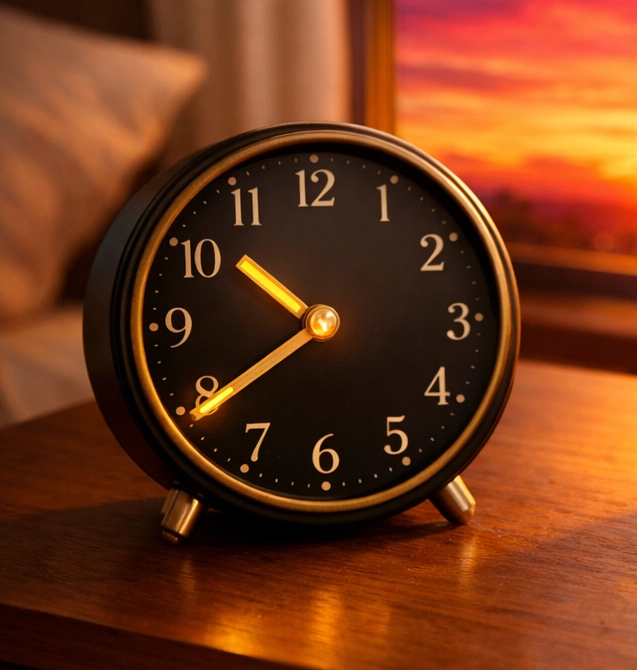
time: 10:39
